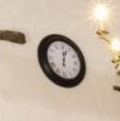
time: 12:03
